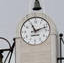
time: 11:11
